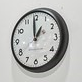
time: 12:59
